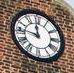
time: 11:46
